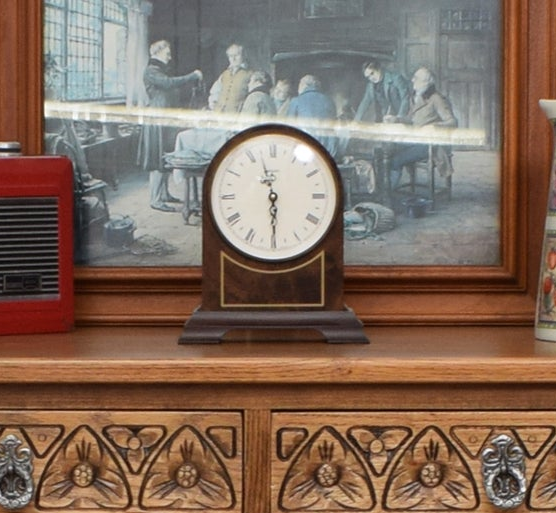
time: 11:29
